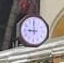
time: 8:59
